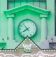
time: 7:53
